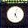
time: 5:03
